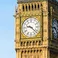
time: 9:22
